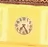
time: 7:25
